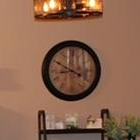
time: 8:49
